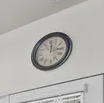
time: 12:14
